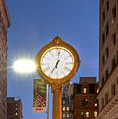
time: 7:01
